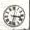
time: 3:32
